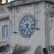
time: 7:25
